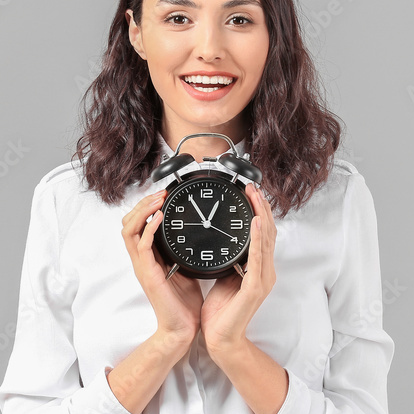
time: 12:54
